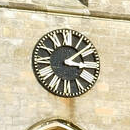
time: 3:08
